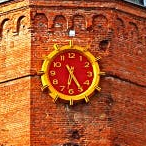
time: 6:24
